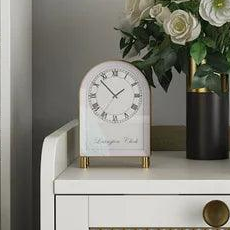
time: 1:52
